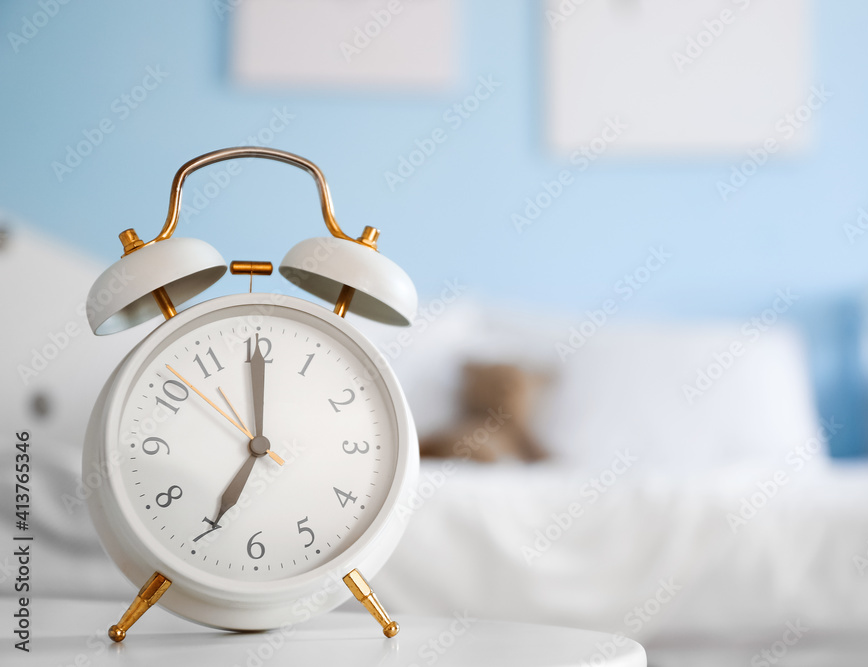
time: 6:59
